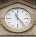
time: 11:23
